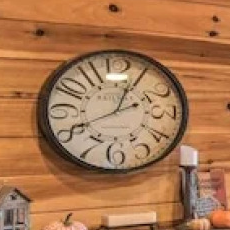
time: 2:04
